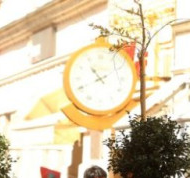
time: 10:41
